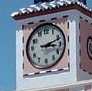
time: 3:11
